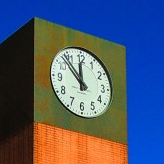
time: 11:52
